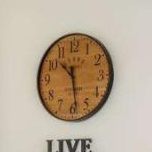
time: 10:28
